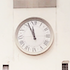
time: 11:56
